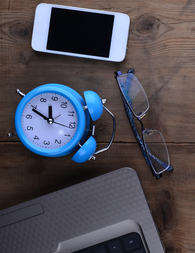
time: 11:48
